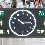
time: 10:14
